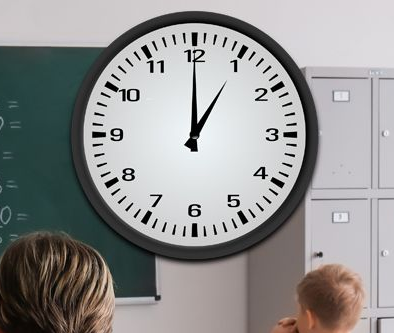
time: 1:00
